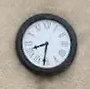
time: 8:31
